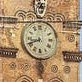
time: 8:41
